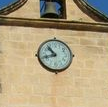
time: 10:42
